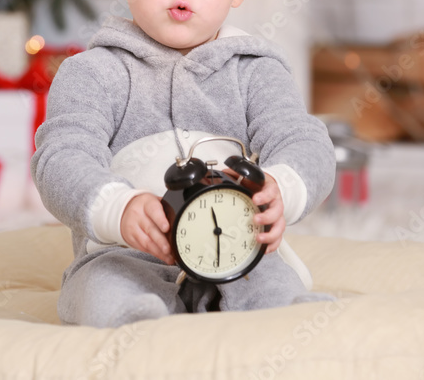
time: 11:29
